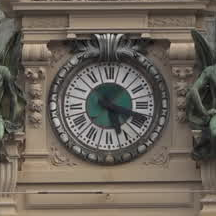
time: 5:17
